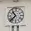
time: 10:37
